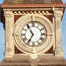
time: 6:54
